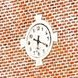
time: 6:19
